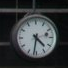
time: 4:31
